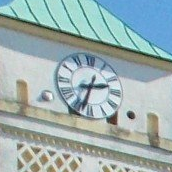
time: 2:33
